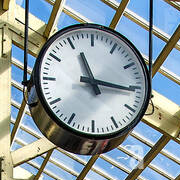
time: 11:16
